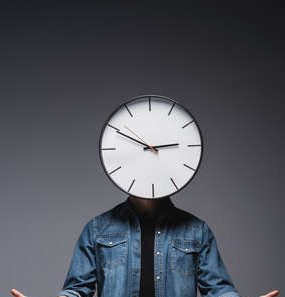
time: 2:49
